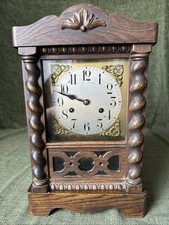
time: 9:48
